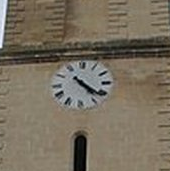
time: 4:20
